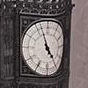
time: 4:56
